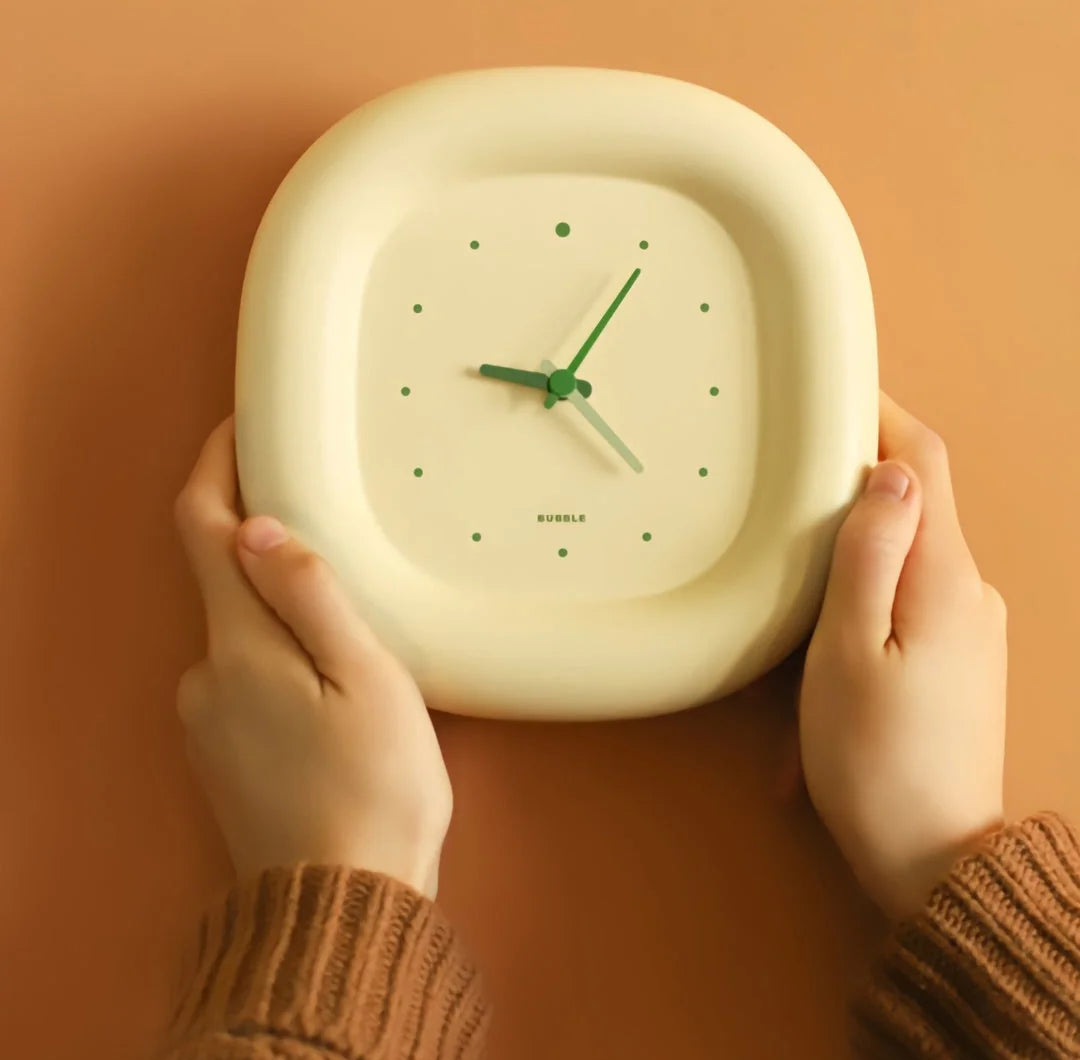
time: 9:05
